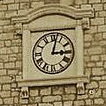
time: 3:02
